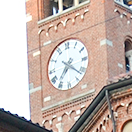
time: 7:21
